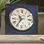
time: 10:35
